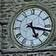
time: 5:17
